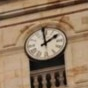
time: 1:59
